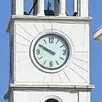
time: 9:49
